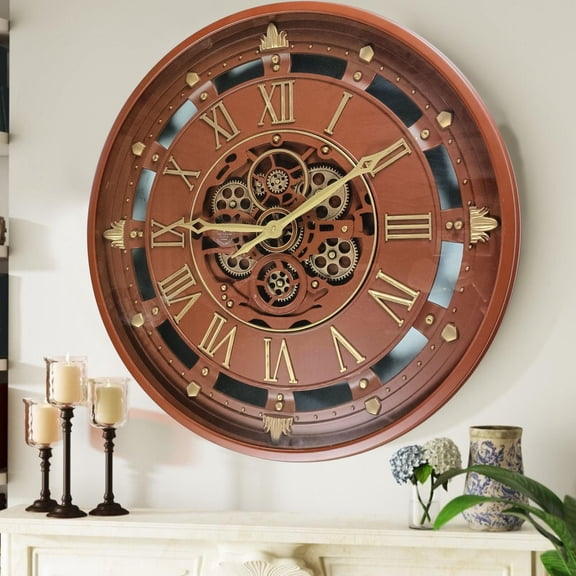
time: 9:09
